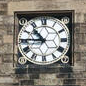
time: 10:45
